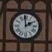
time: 1:59
